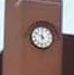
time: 11:50
